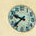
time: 9:38
